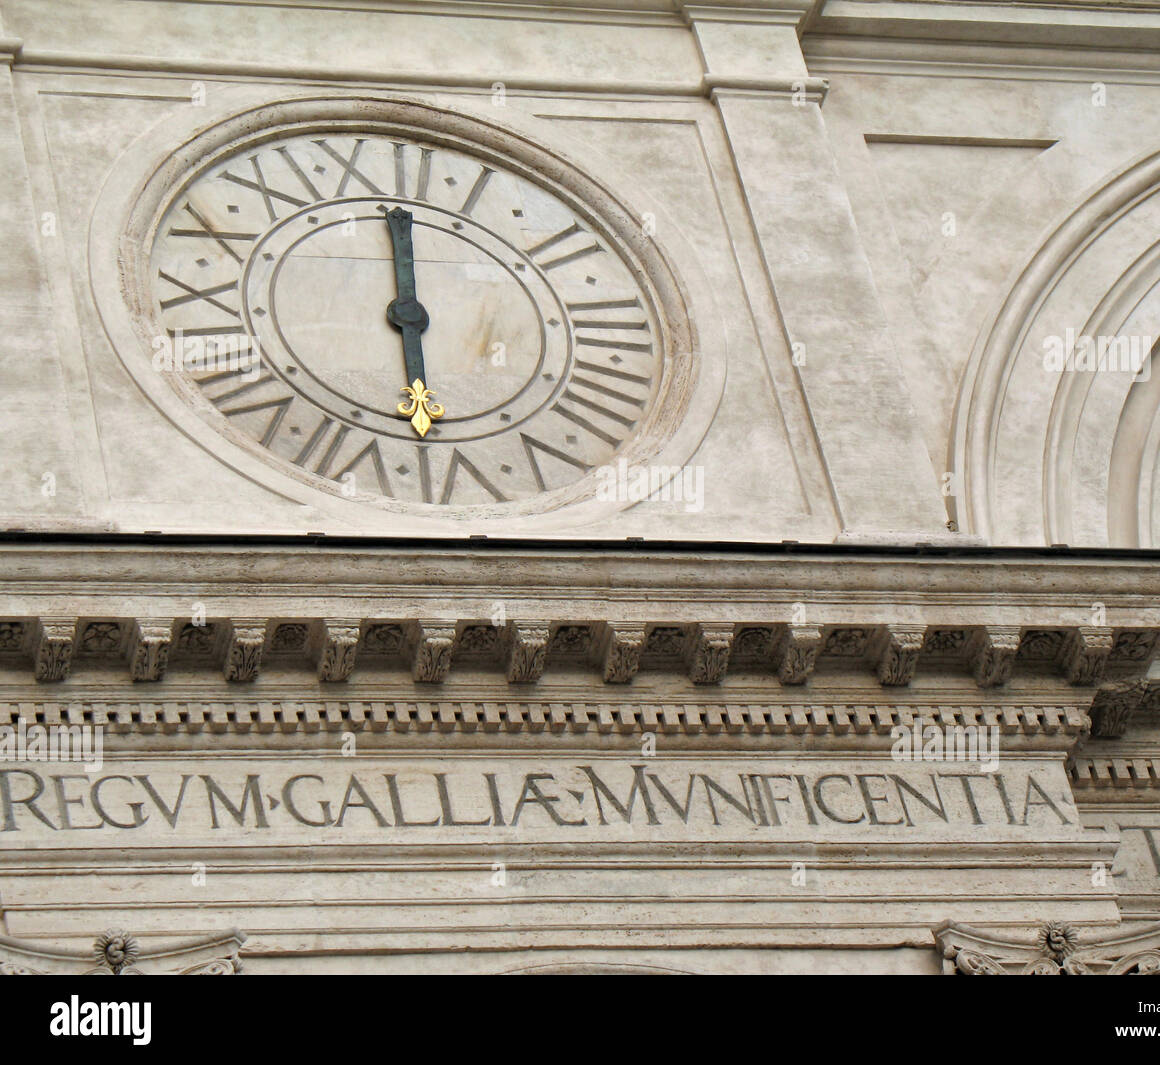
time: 6:00
